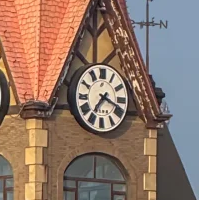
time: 7:18
